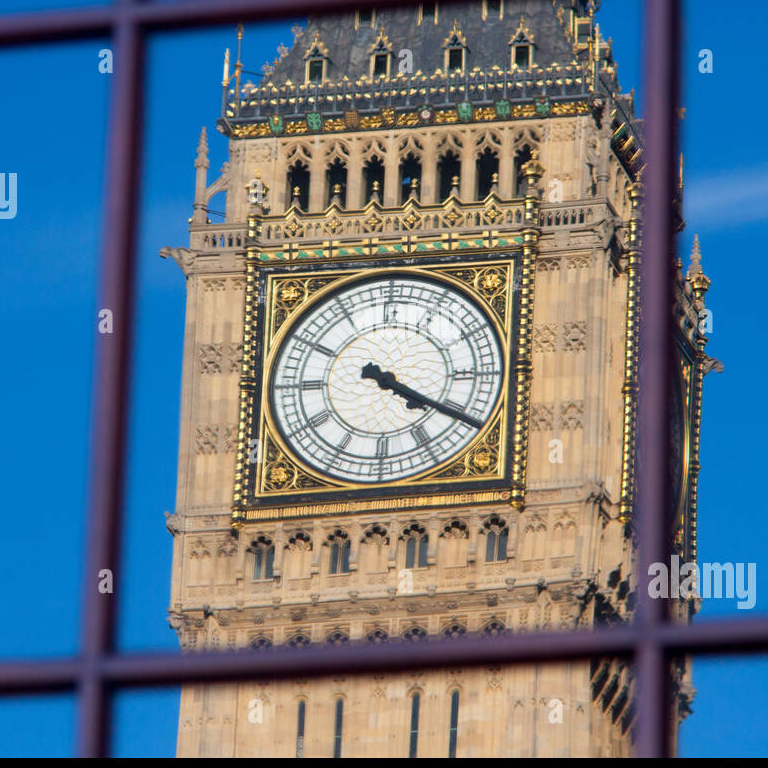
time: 4:20
